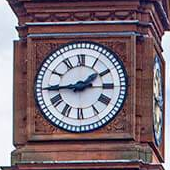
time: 1:44
